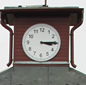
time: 3:14
